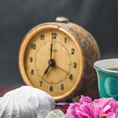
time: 7:00
